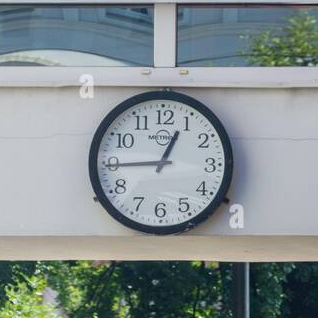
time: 12:44
